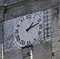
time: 1:11
